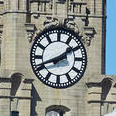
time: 1:41
